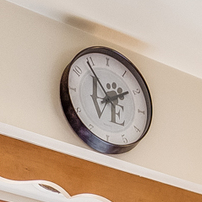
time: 1:54
